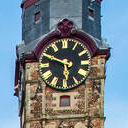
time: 5:48
